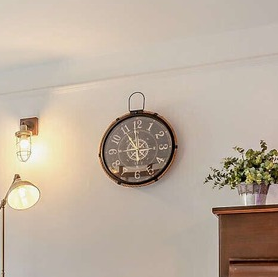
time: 10:58
